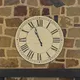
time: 10:56
